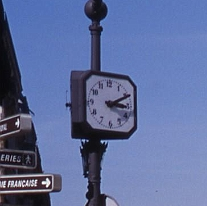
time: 3:10
